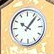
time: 10:07
